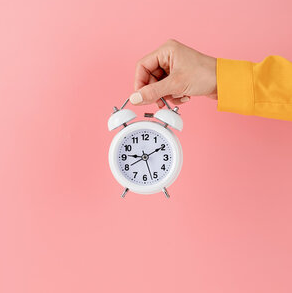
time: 9:10
